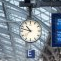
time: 10:47
